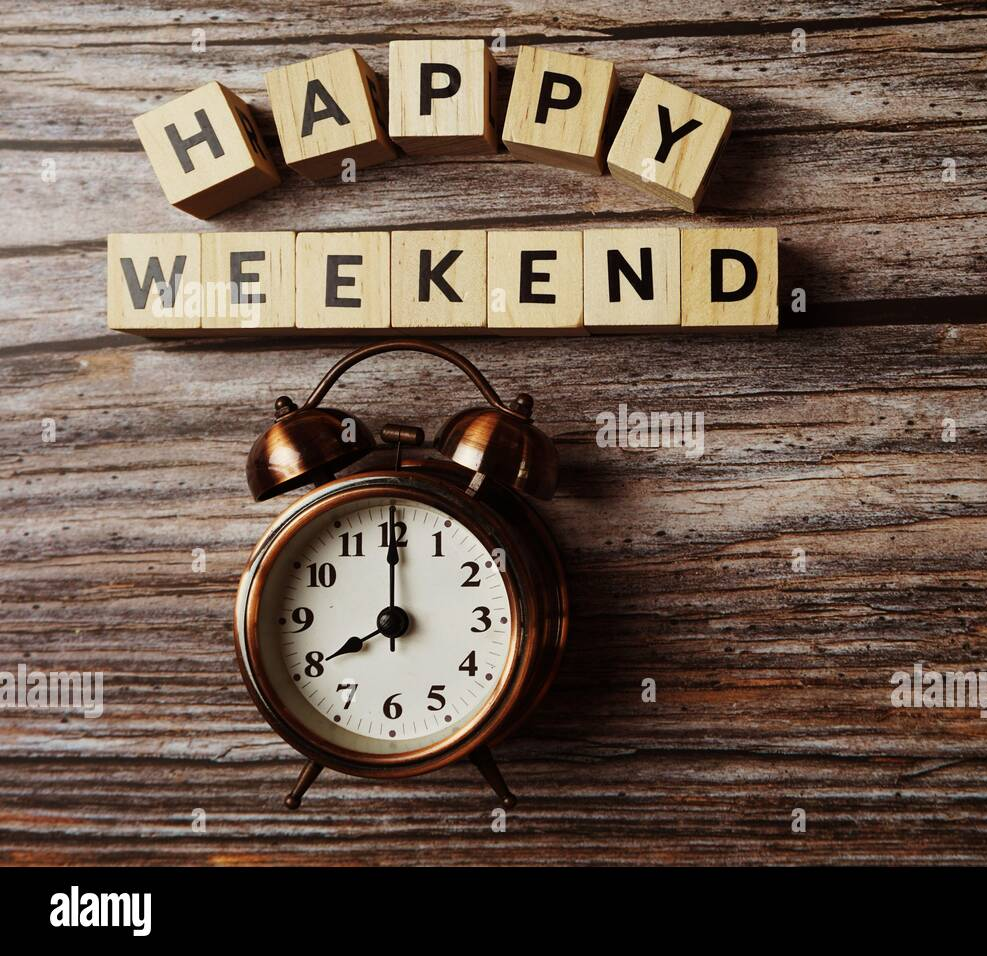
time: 8:00
